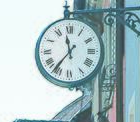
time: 11:36
